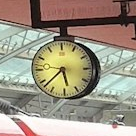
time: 5:38
